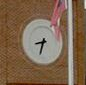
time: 8:33
